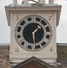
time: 1:28
